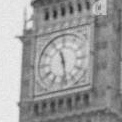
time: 11:28
